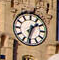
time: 1:32
